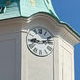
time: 9:12
